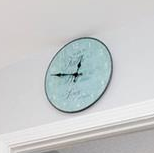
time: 12:47
